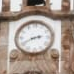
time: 2:40
